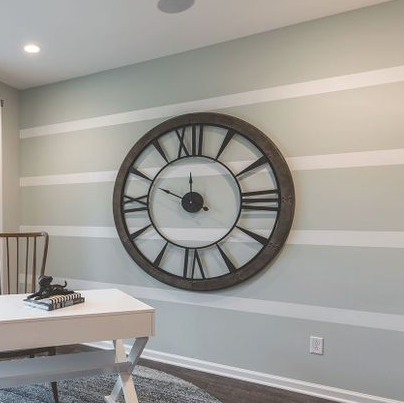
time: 9:49
